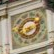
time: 7:12
